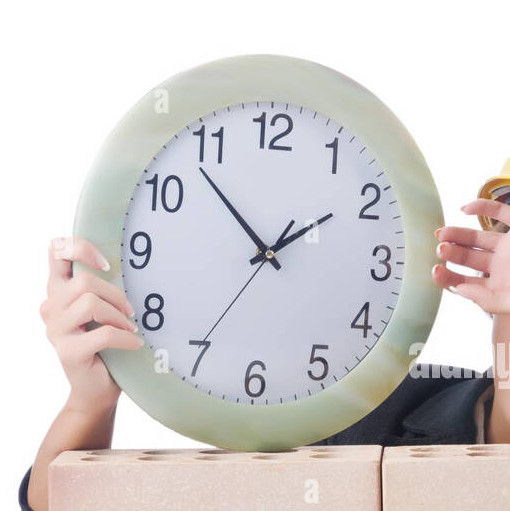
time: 1:53
